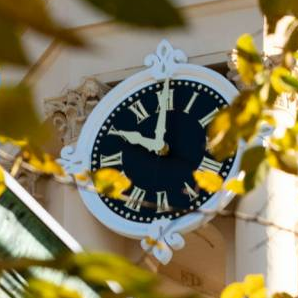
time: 10:00
